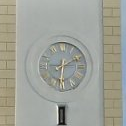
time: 6:10
